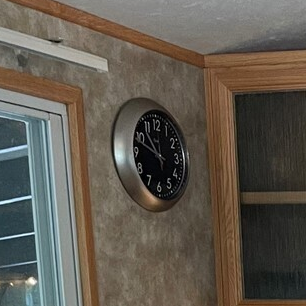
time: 10:47
